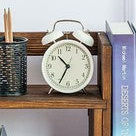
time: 10:34
